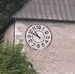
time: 10:49
